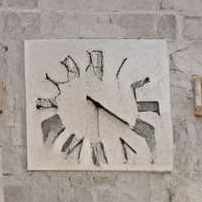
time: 4:20
